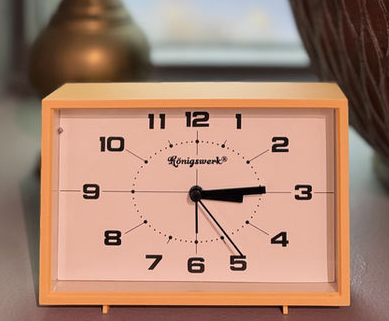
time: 3:14
